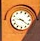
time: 9:21
